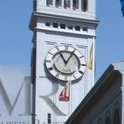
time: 11:04
